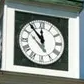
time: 11:53
